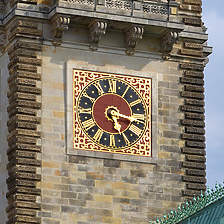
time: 5:15
